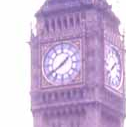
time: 1:39
